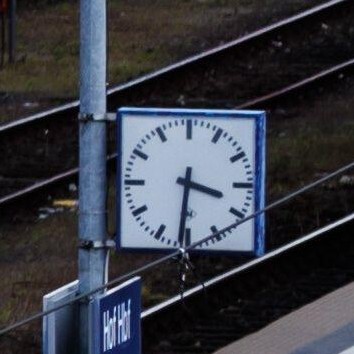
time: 3:31
